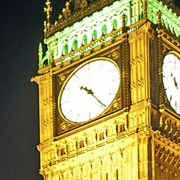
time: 10:24
